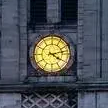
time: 4:12
